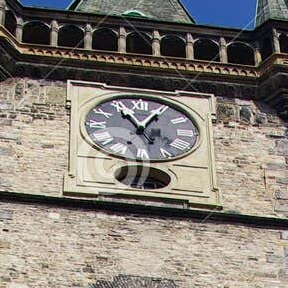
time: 12:54
